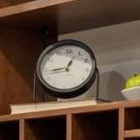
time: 12:43
